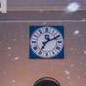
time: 7:10
